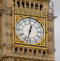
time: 12:32
